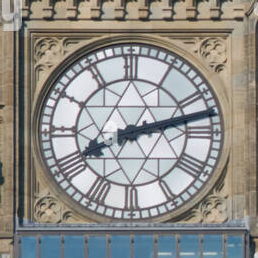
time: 8:12
